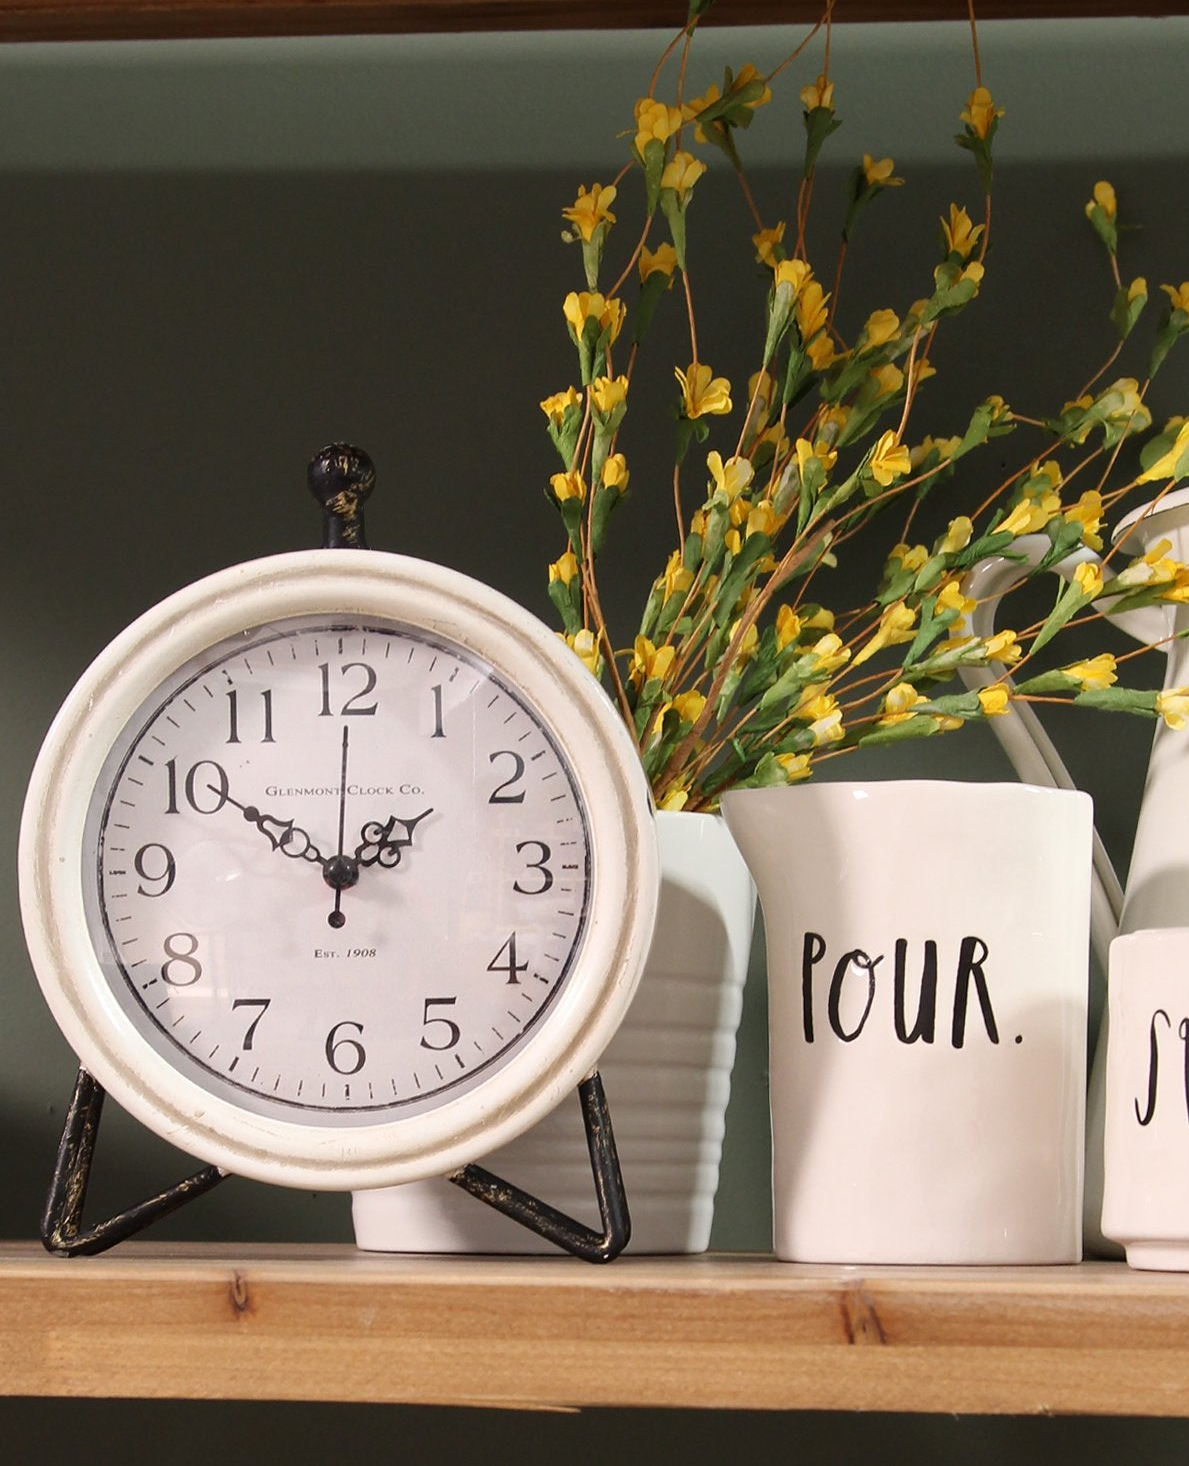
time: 1:50
